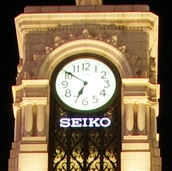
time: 6:50
